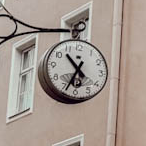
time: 10:34
